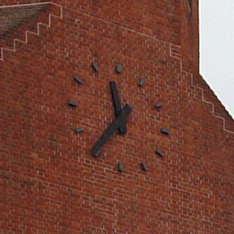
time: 11:36
